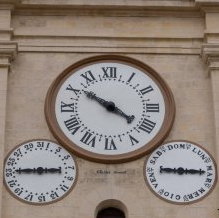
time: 3:50
